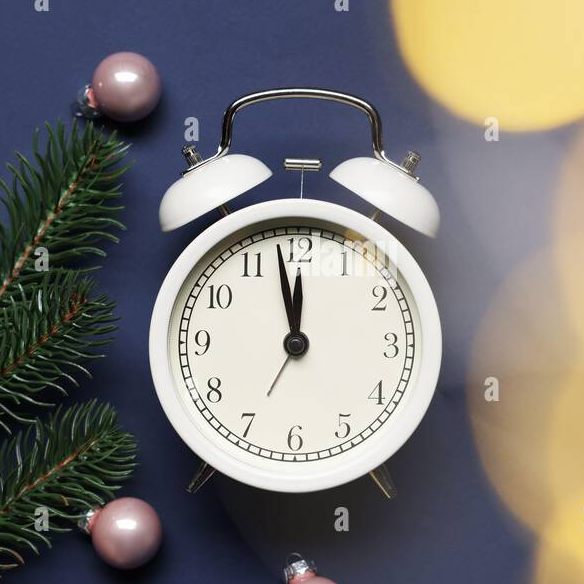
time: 11:58
